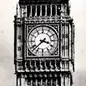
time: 3:37
